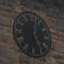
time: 5:01
